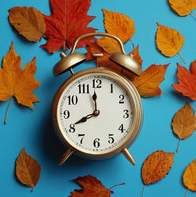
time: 11:41
